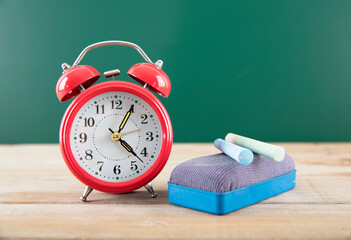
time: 4:22
